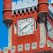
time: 8:11
